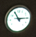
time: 11:15
